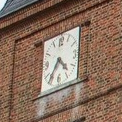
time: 4:35
